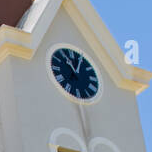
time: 11:04
